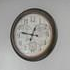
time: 12:47
